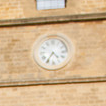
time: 4:35
